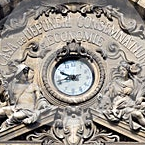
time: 9:42
